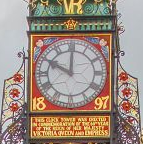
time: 10:00
